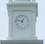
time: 12:48
